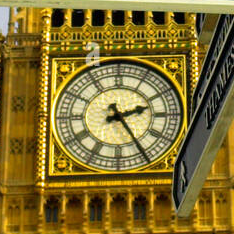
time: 2:24
